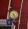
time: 4:26
